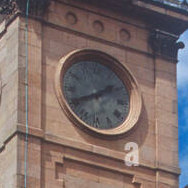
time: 1:40
